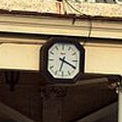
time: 6:19
